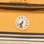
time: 7:32
